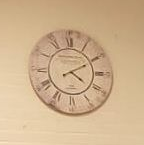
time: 4:10
